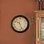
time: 10:26
